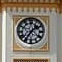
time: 1:36
